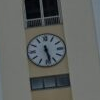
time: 5:28
